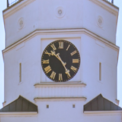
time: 10:24
